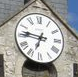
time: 6:46
